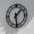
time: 1:28
